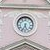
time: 5:34
